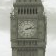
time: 2:13
